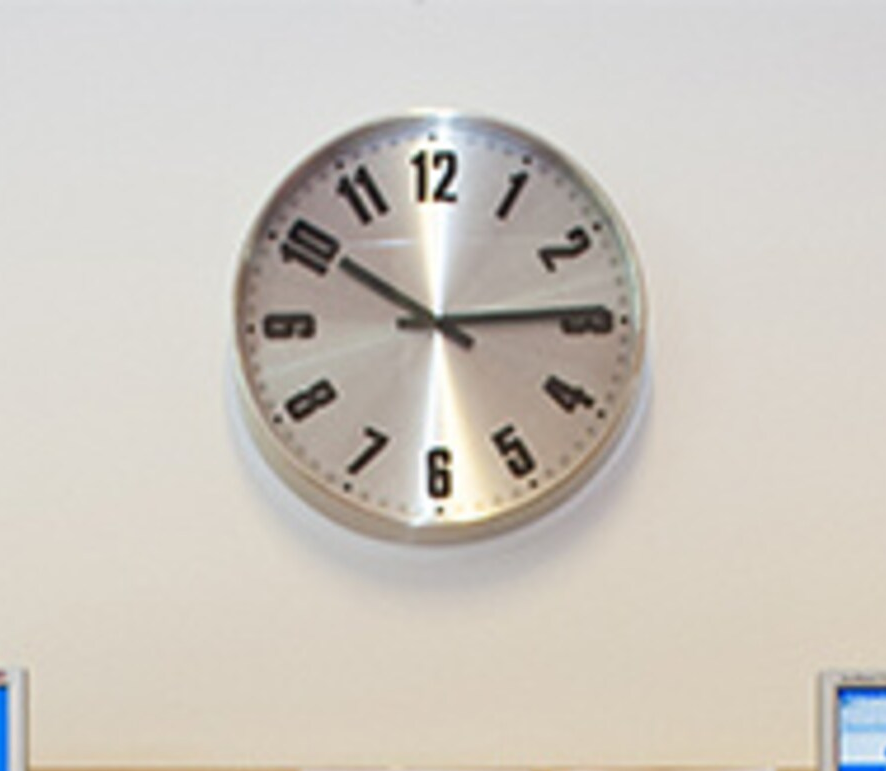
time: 10:14
